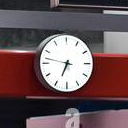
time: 6:47
